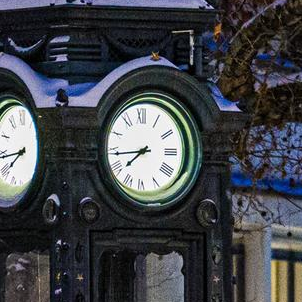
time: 7:43
